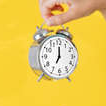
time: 7:00
